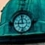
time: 8:58
